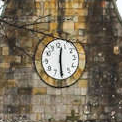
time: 12:30
